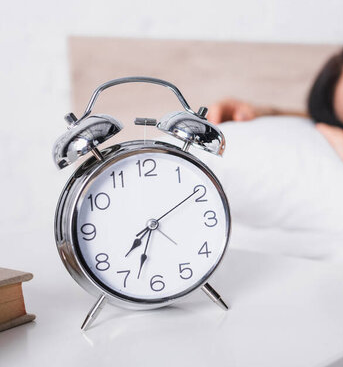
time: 7:33
